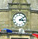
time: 3:09
